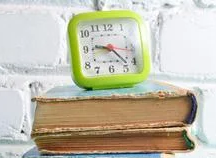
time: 9:22
